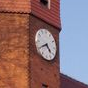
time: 4:40
